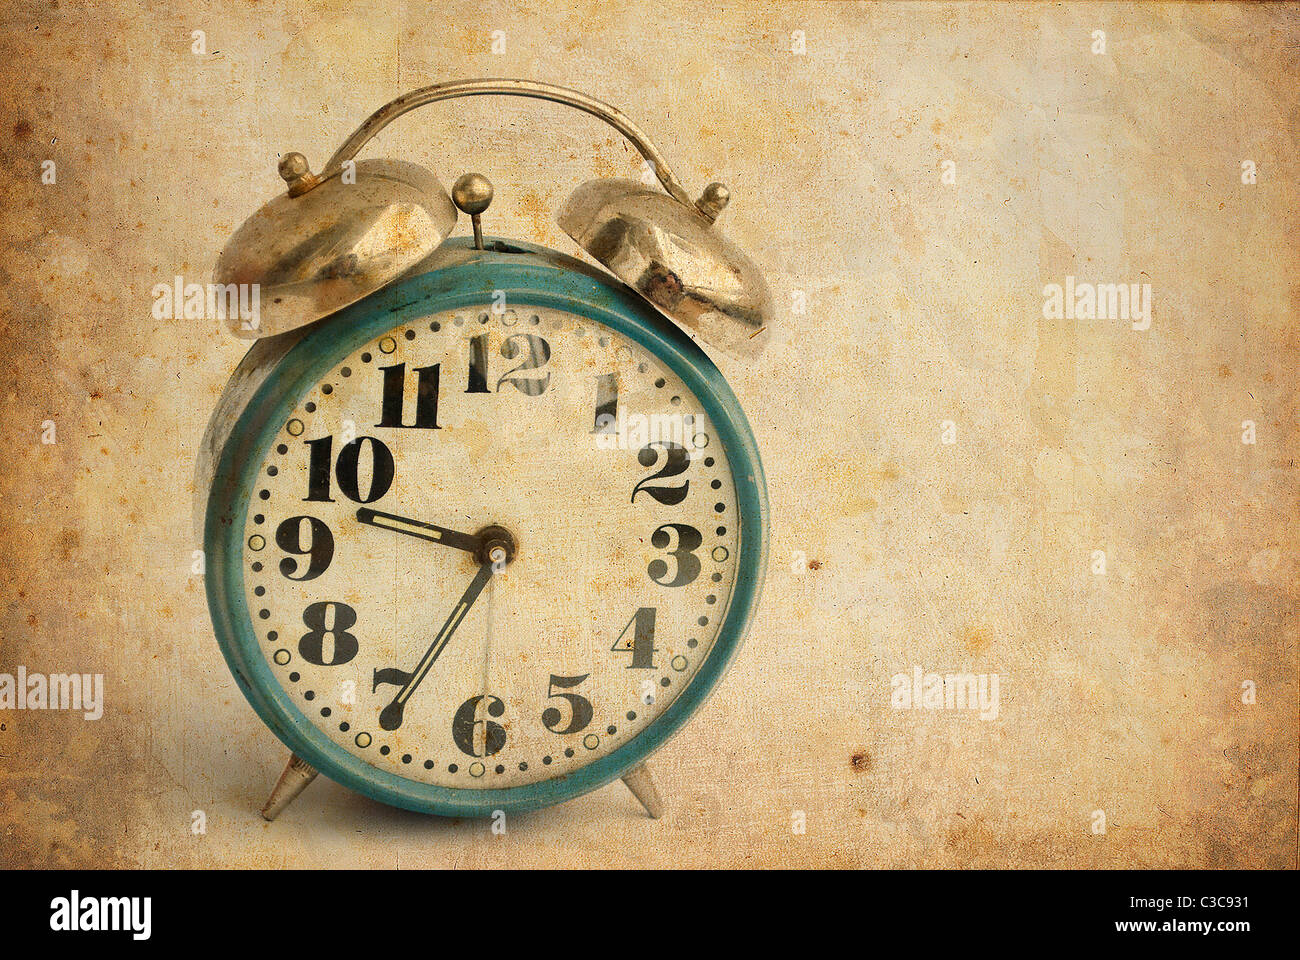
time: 9:34
